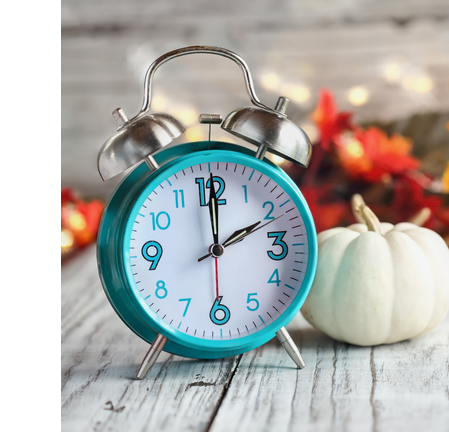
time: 2:00
